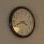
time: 3:41
